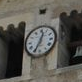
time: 12:34
